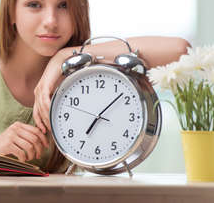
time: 7:07
